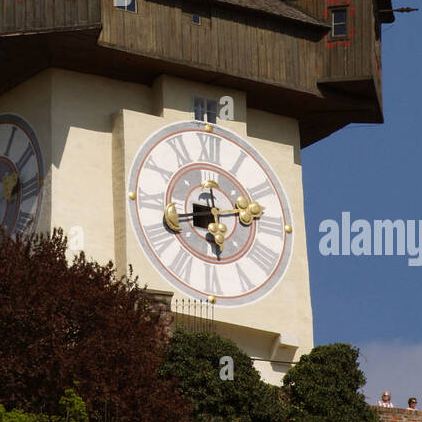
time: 8:12
